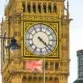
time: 4:22
